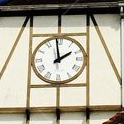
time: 1:58
